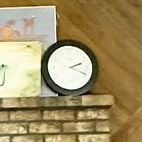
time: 2:19
